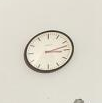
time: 3:12
